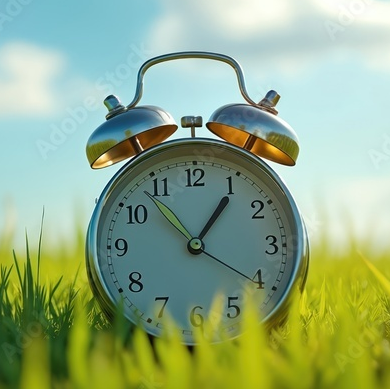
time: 1:06
